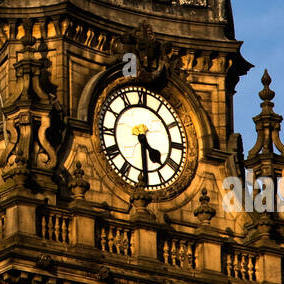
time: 4:29
